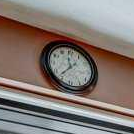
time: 11:36
